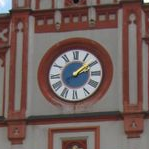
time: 2:09
